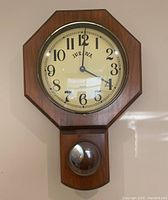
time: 4:00
